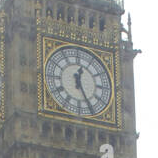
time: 12:25
